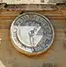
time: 1:28
